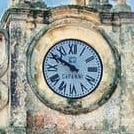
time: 9:50
